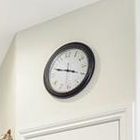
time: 3:48
